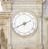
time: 8:10
